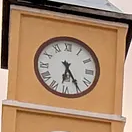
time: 6:24
